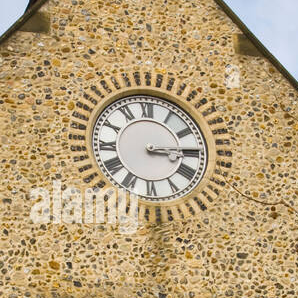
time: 3:14
